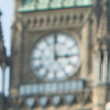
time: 2:58
